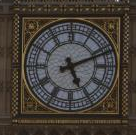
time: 5:11
